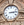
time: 3:13
